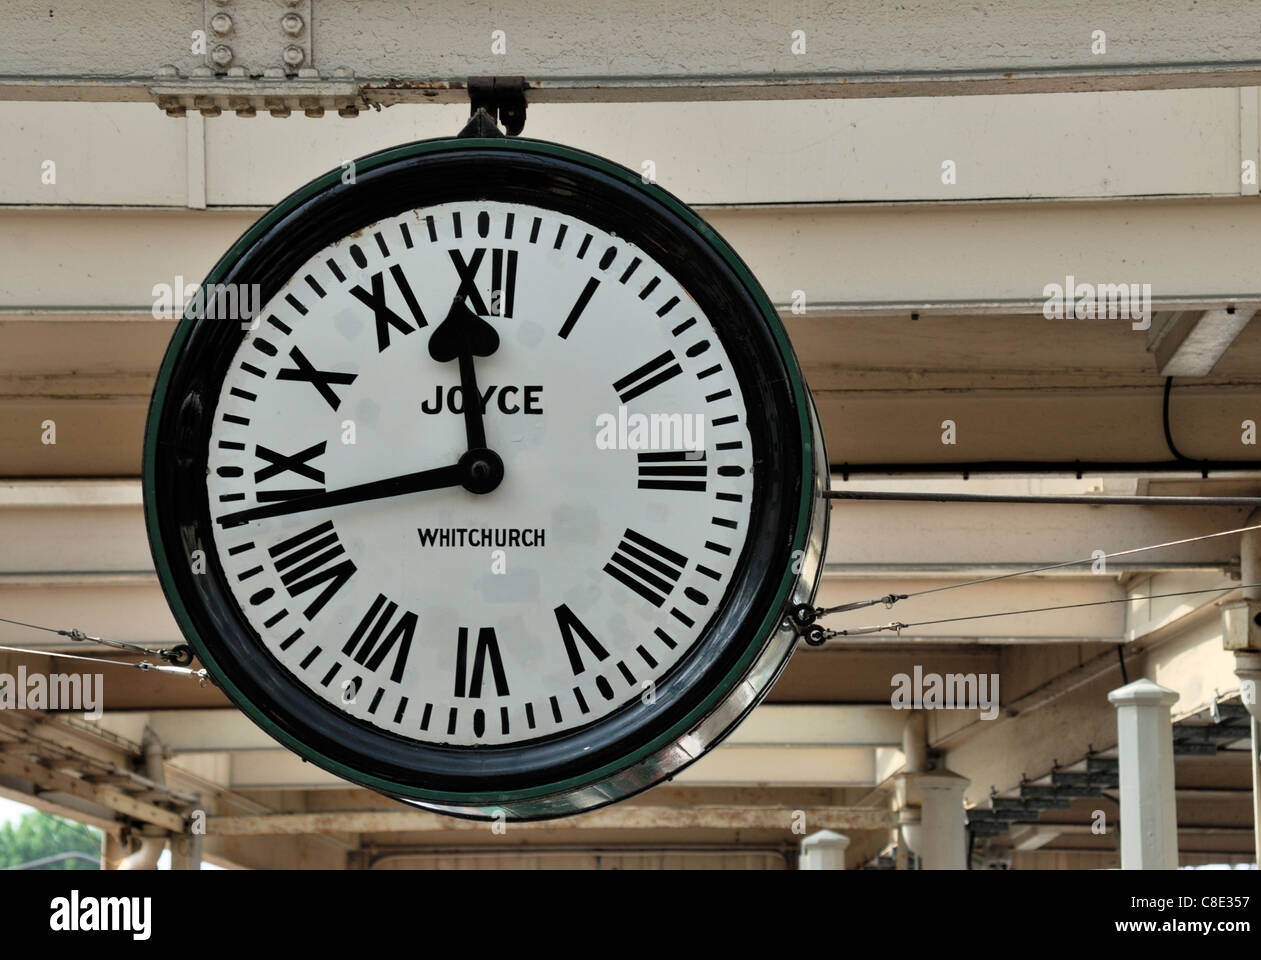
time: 11:42
